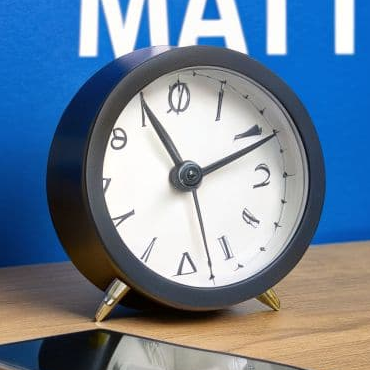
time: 11:11
